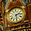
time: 2:29
